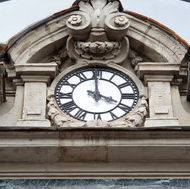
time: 3:59
